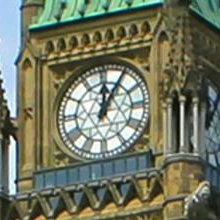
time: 12:05
